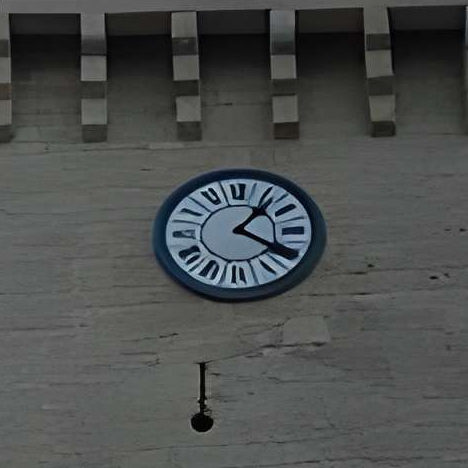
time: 1:20
